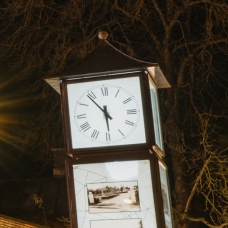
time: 5:53
